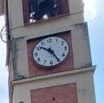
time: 10:25
